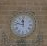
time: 11:47
